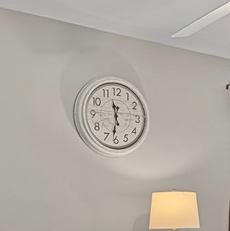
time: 11:31
